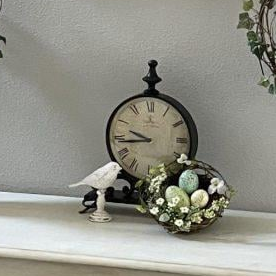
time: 9:43
